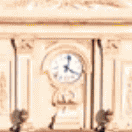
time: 4:02
